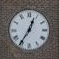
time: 12:35
